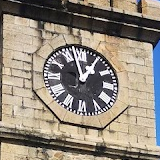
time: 12:57
